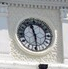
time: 11:29
